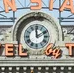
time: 1:59
